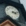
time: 3:12
